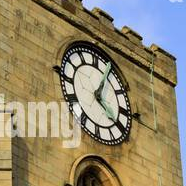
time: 4:04
